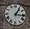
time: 1:16
